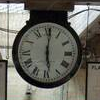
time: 6:00
